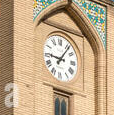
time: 9:06
